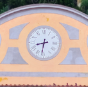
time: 8:31
